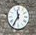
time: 11:35
